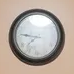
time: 7:46
